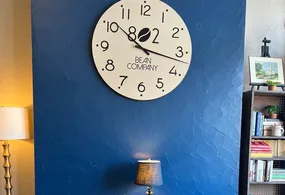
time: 10:17
